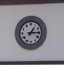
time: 1:14
